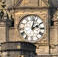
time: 2:02
